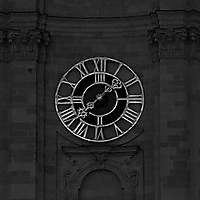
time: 1:37
